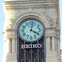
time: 4:02
